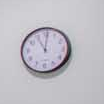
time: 11:00
